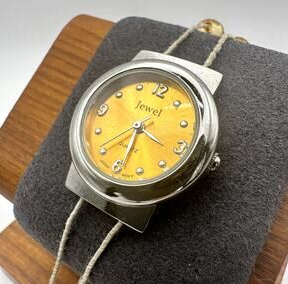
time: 4:33
